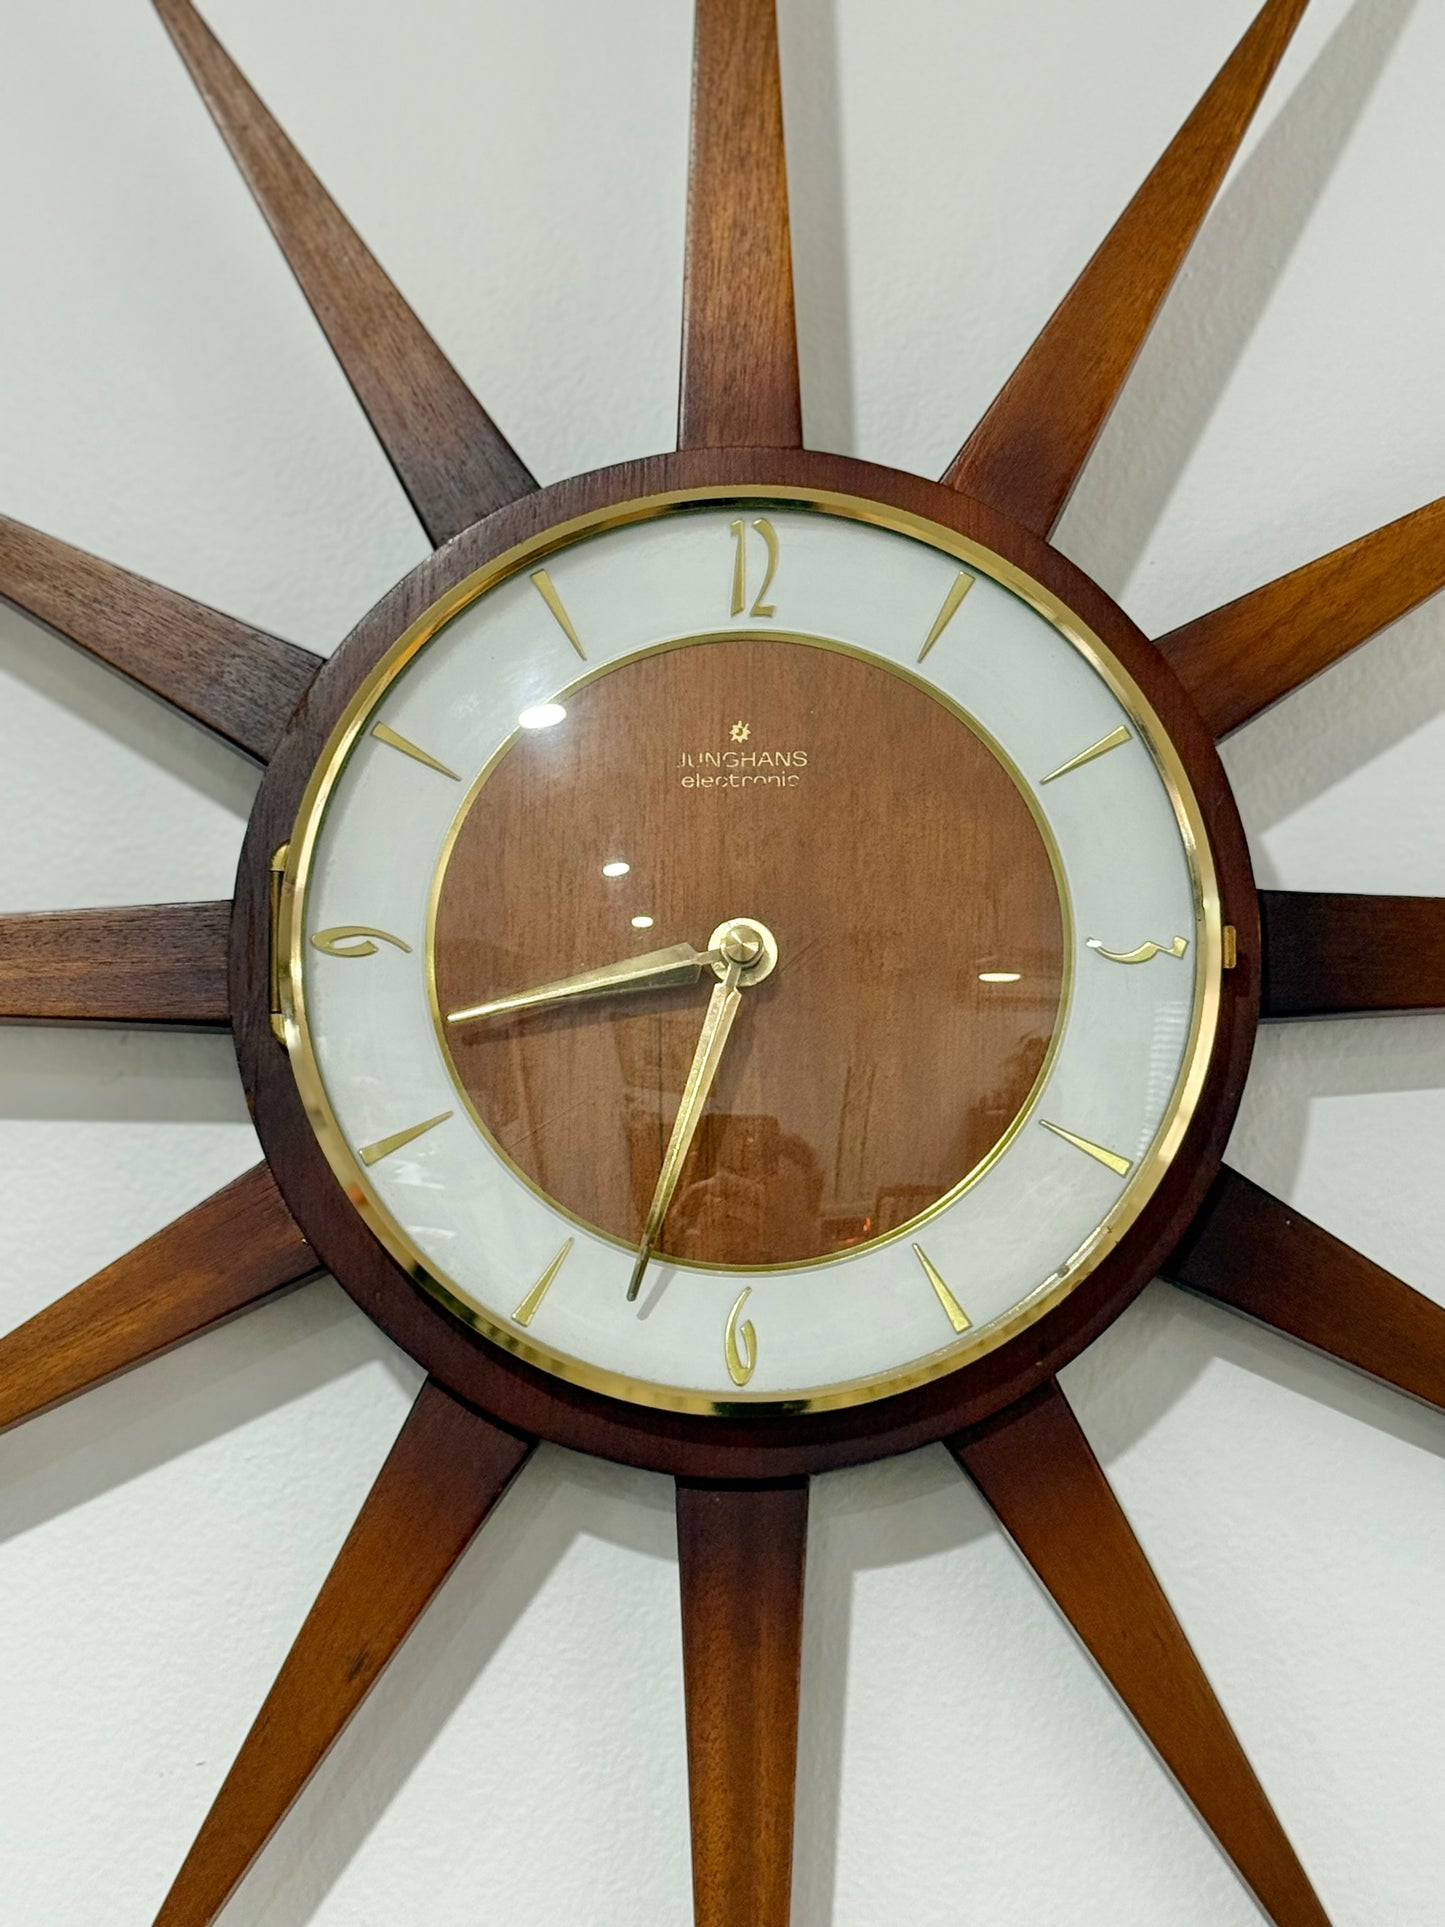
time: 8:32
